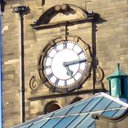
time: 5:14
